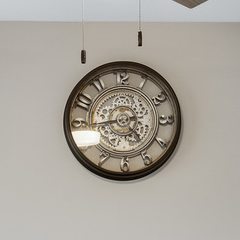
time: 4:44
